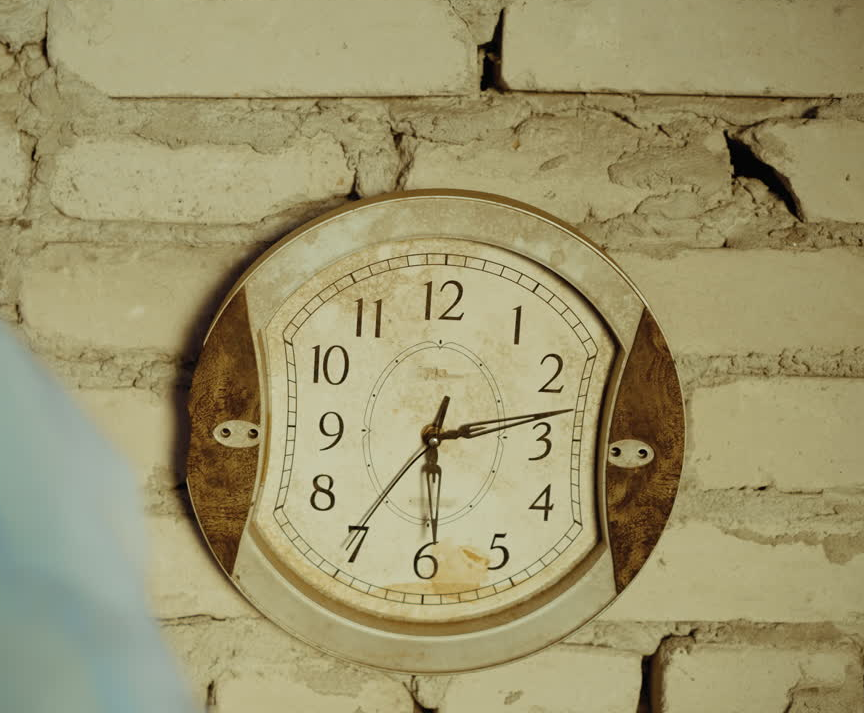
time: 2:29
